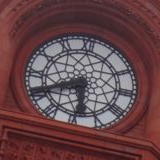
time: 5:40
